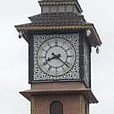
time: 8:21
